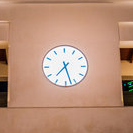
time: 7:27
